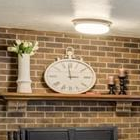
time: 2:59
